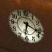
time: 6:18
